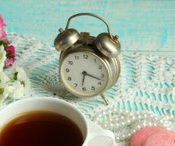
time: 6:18
